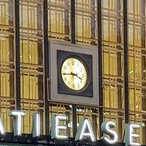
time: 3:44
